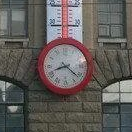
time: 8:21
